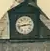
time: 2:42
